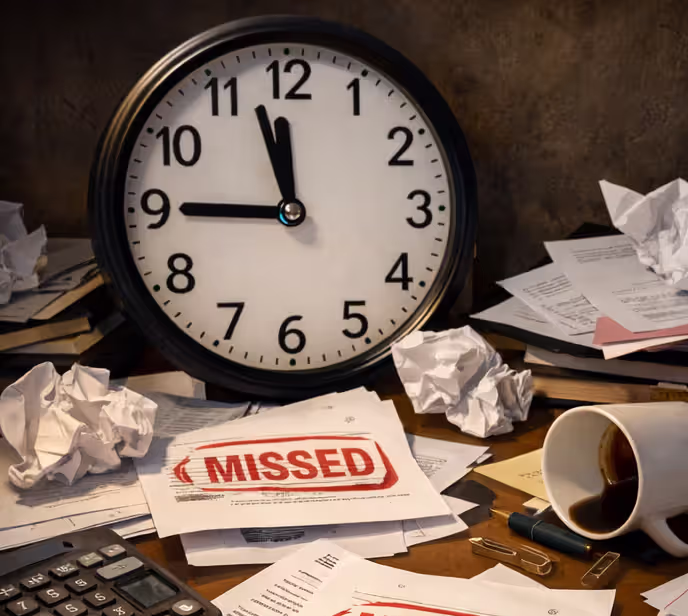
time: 11:45
